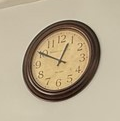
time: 12:49
